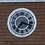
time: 7:17
